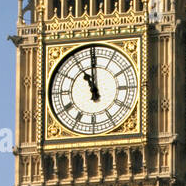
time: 10:59
